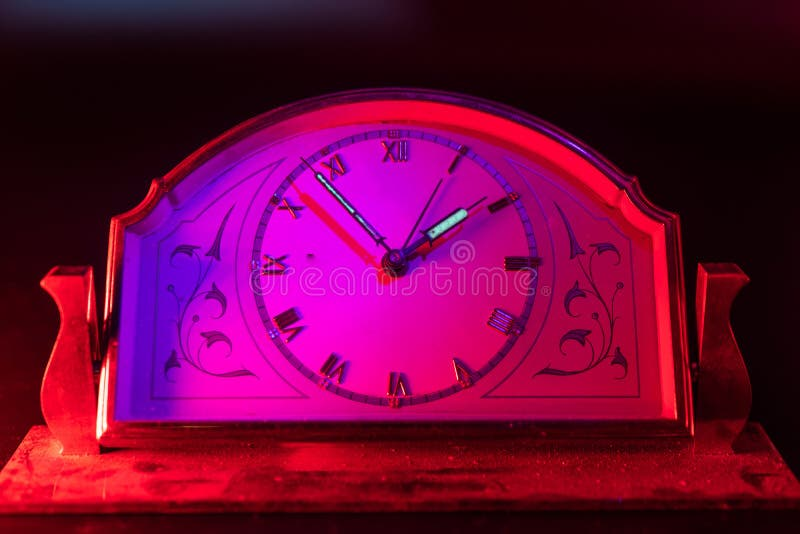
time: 1:53
